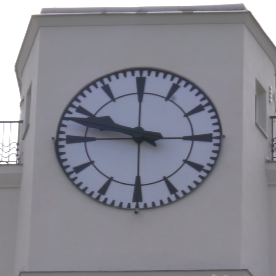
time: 9:47
